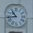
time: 10:43
